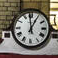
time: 12:59
